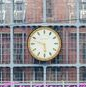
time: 5:47
